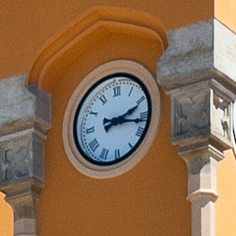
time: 2:17
